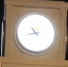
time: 10:43
